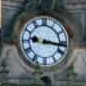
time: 9:16
